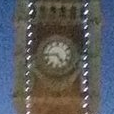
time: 4:44
